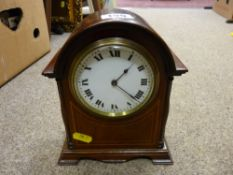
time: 1:21
